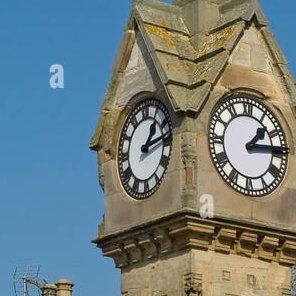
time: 1:13
